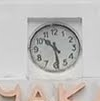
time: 10:28
